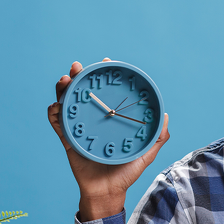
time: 10:17
